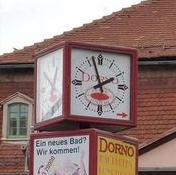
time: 1:57
